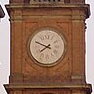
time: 7:48
